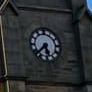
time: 5:38
